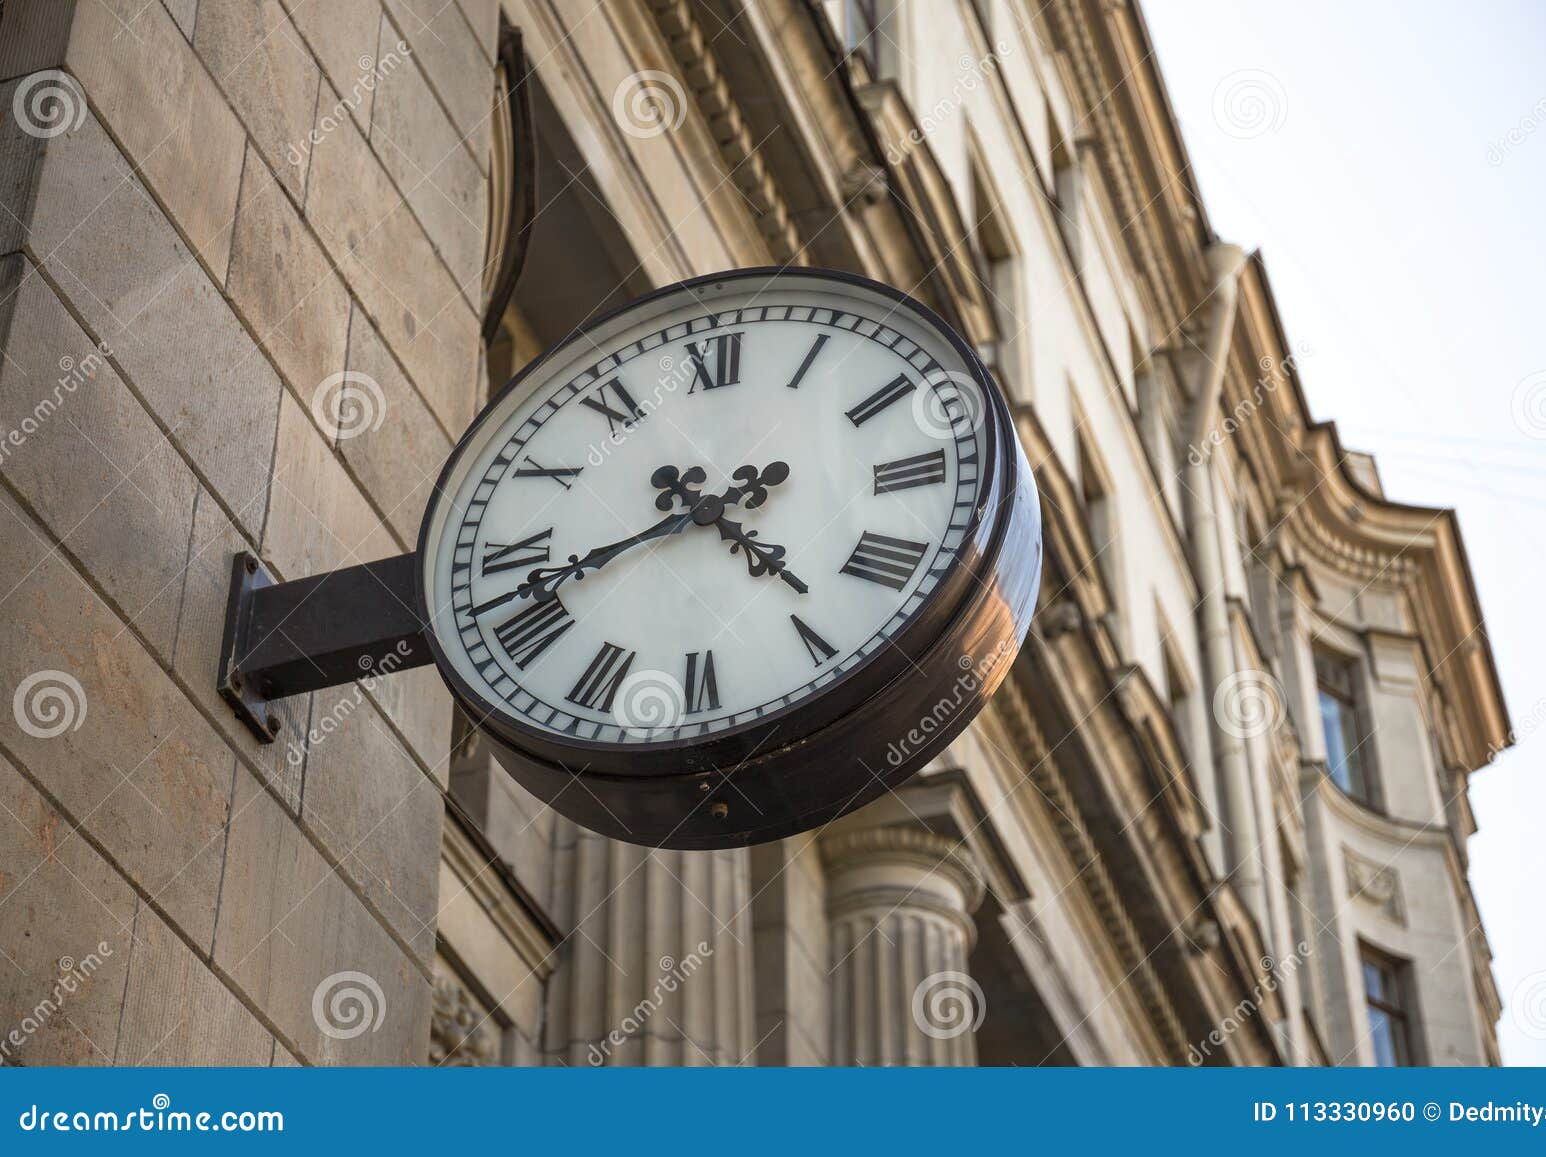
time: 4:42
